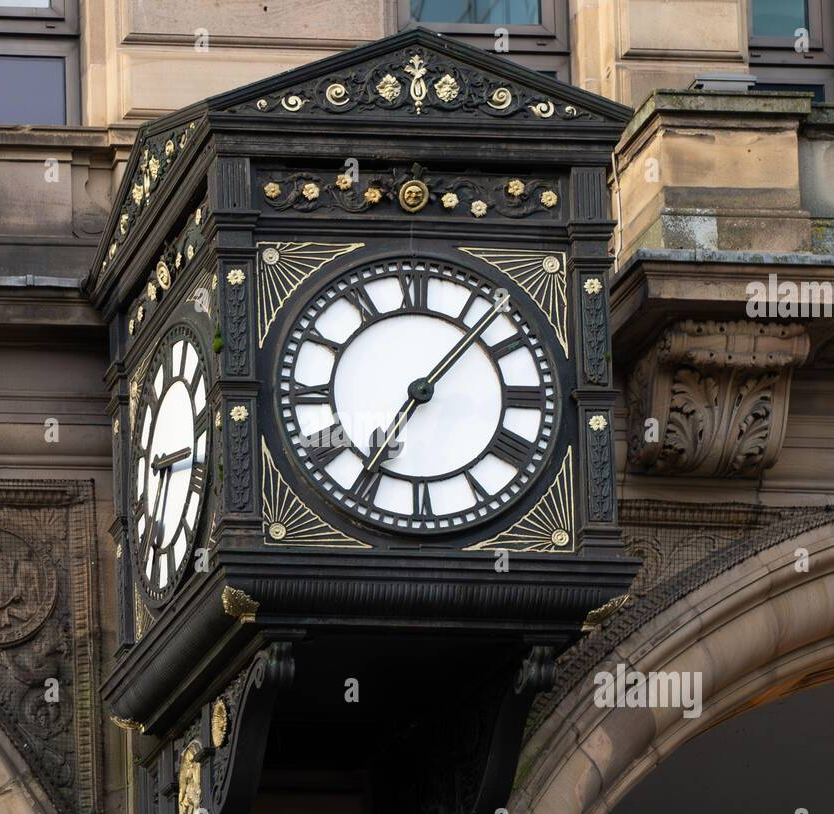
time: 7:07
